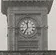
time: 11:35
